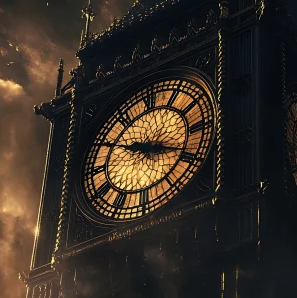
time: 3:49
